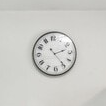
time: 2:24
